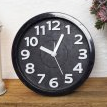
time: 10:04
